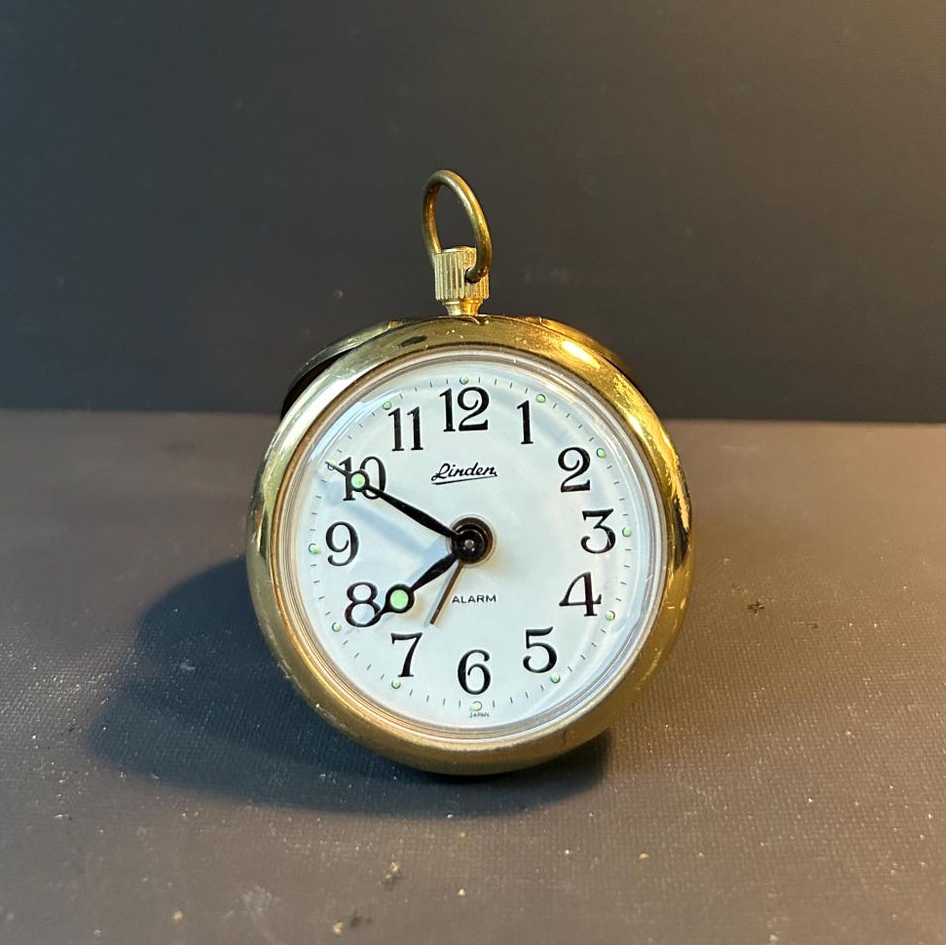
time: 7:49
